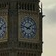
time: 1:47
